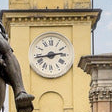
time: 2:43
